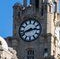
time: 2:42
